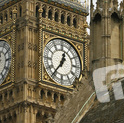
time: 12:36
